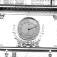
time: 2:11
